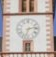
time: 2:33
